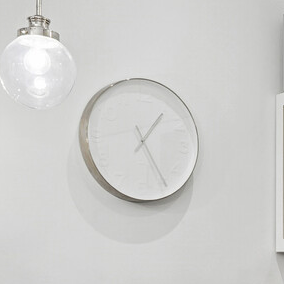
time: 1:24
